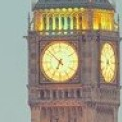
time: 6:52
